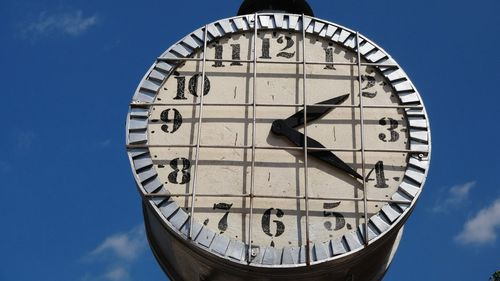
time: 2:21
